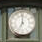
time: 7:00
